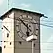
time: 5:51
